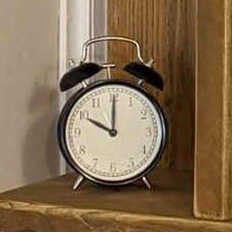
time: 10:00
